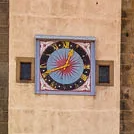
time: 12:41
